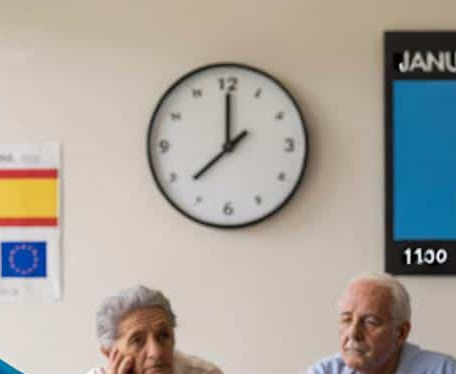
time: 12:00
